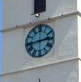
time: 2:43
